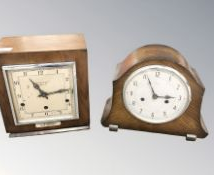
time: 2:56
